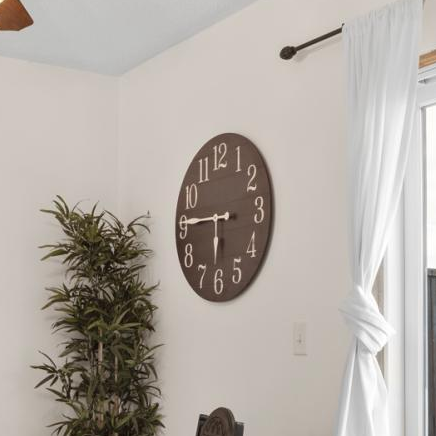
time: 5:45
